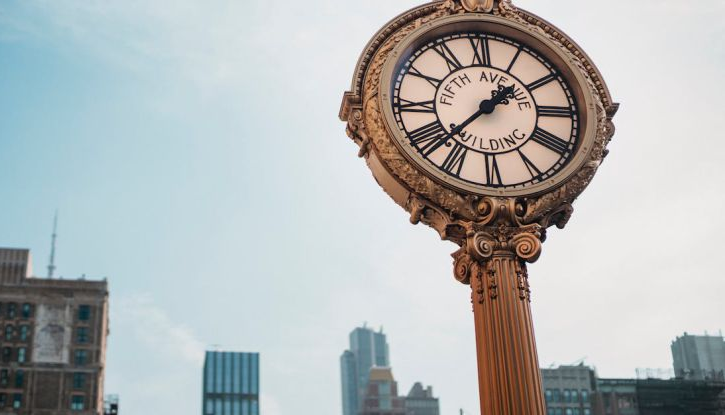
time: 1:37
